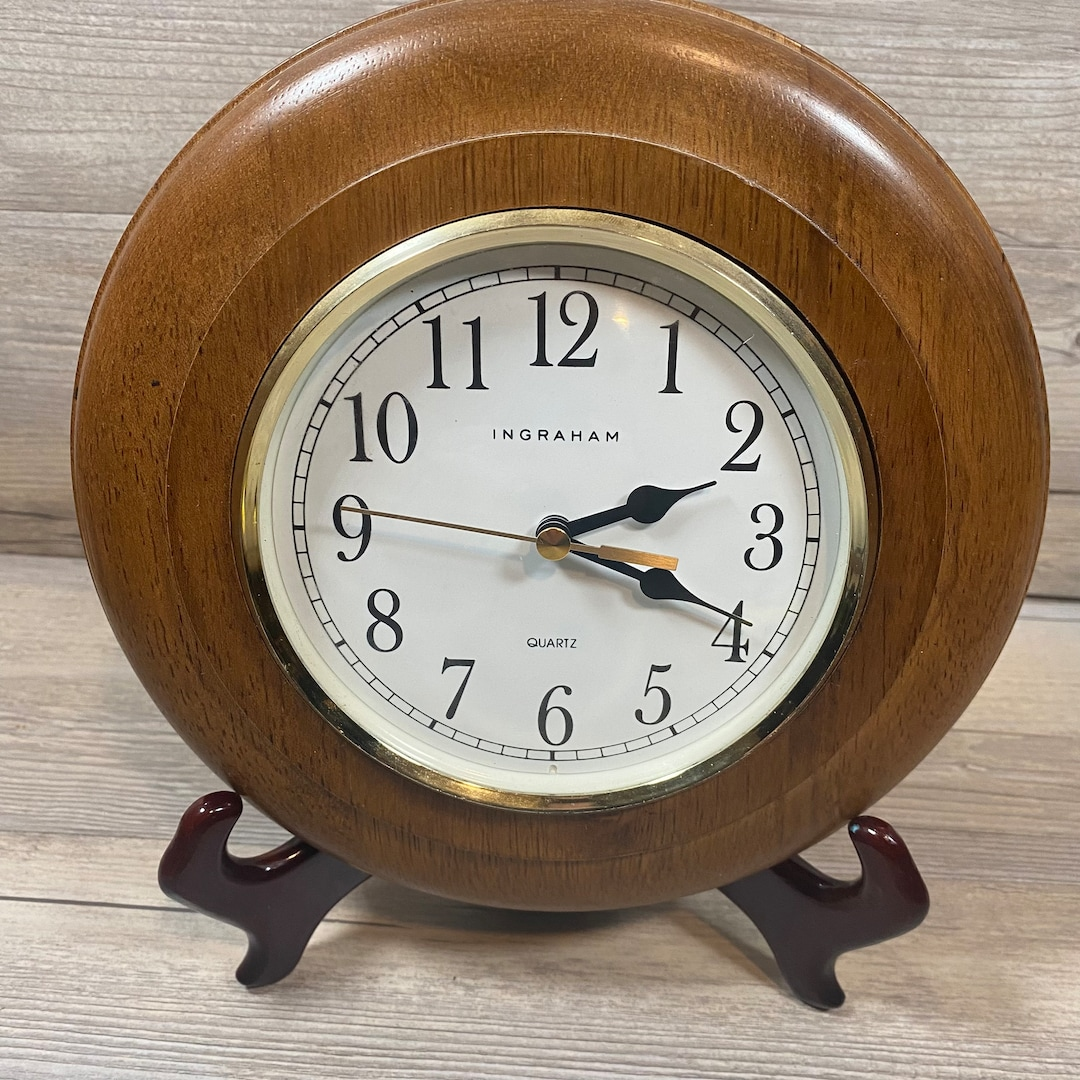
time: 2:18
